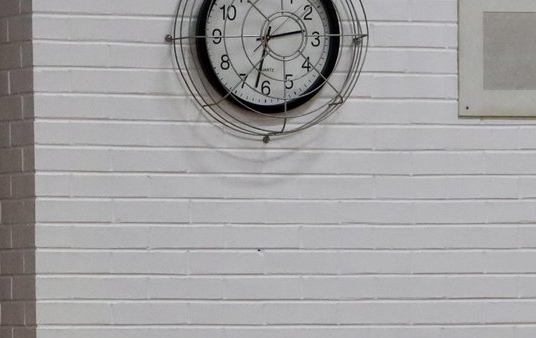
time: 2:32
